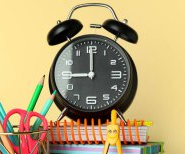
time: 9:00
